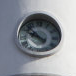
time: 9:52
